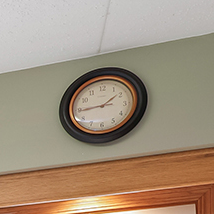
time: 1:44
